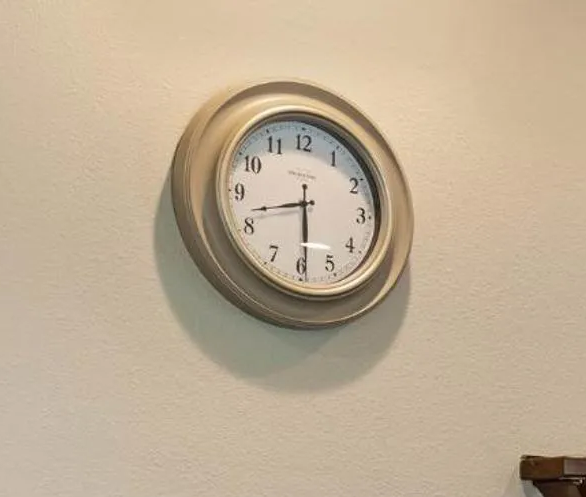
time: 8:29
